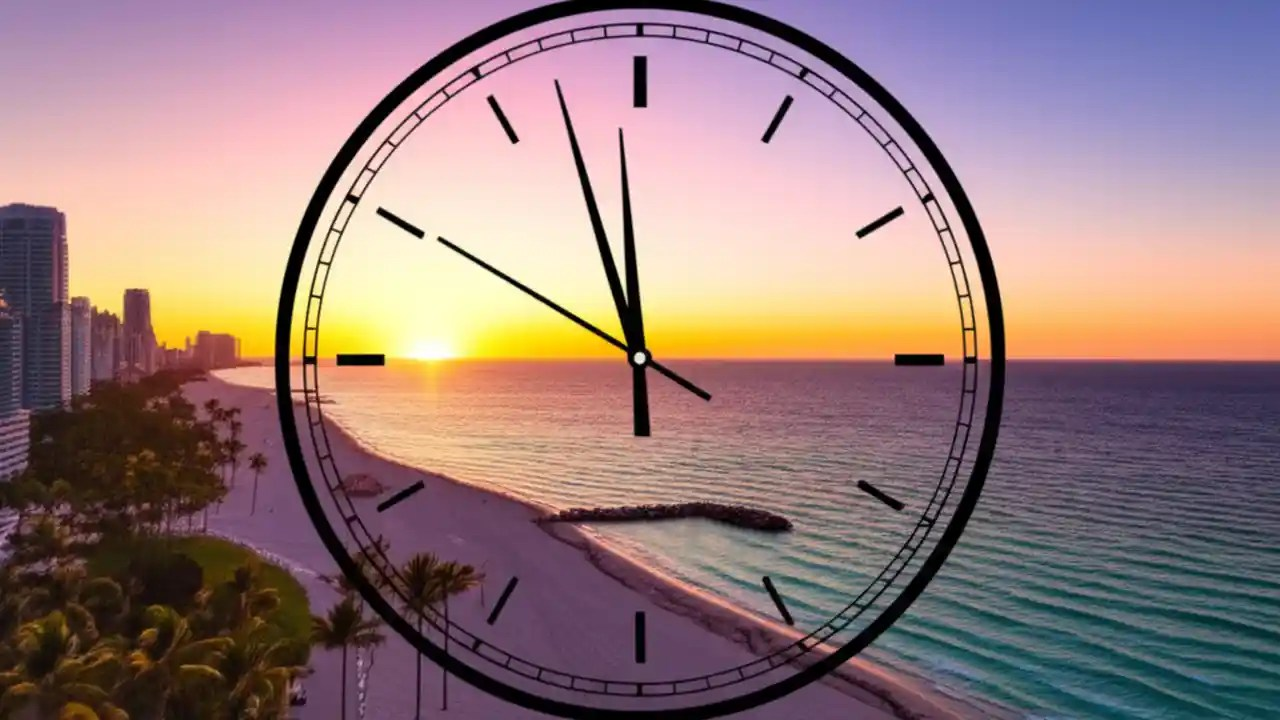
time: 11:57
